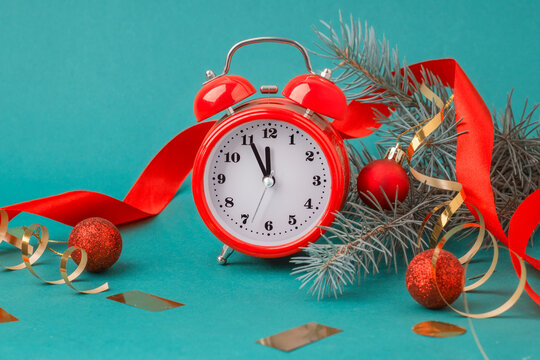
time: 11:55
